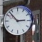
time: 2:52
